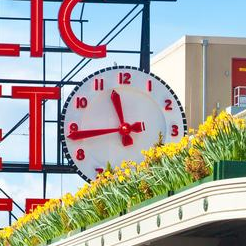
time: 11:43
